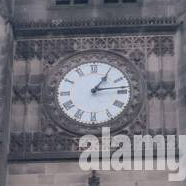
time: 1:13
